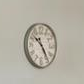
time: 10:24
